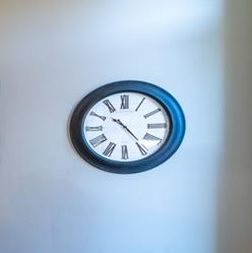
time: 10:23
